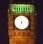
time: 5:33
